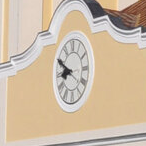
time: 8:49
